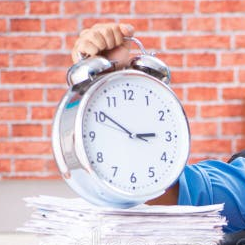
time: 2:50
